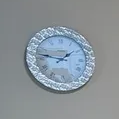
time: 1:46
